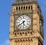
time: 5:38
